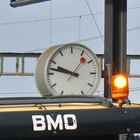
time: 9:47
